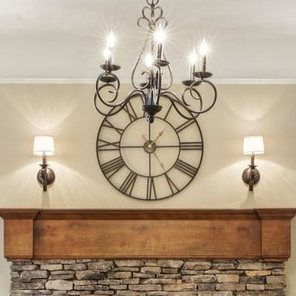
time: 12:14
